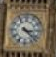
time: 3:22
